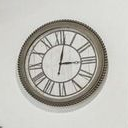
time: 3:02
